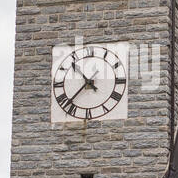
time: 10:37
